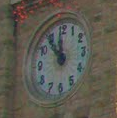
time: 11:53
